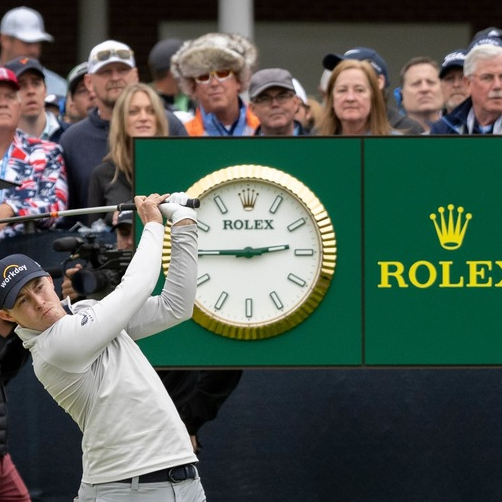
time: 2:44
